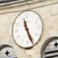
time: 11:25
